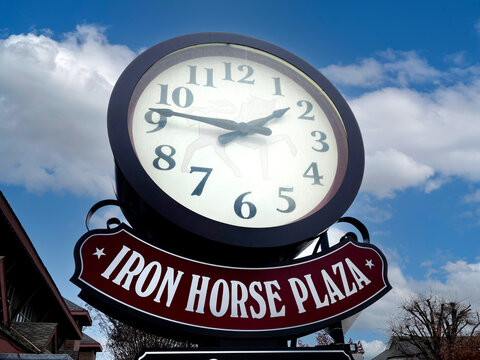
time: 1:46
